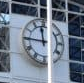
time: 11:45
